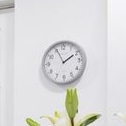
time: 1:55
